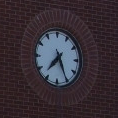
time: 7:25
